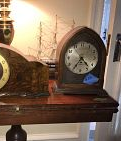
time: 4:35
